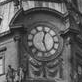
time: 12:26
